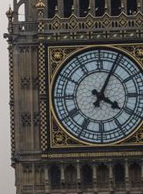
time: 4:04
